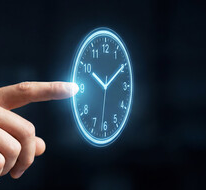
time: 10:09
